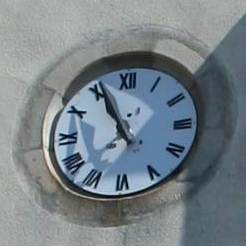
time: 10:55
